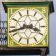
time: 3:42
